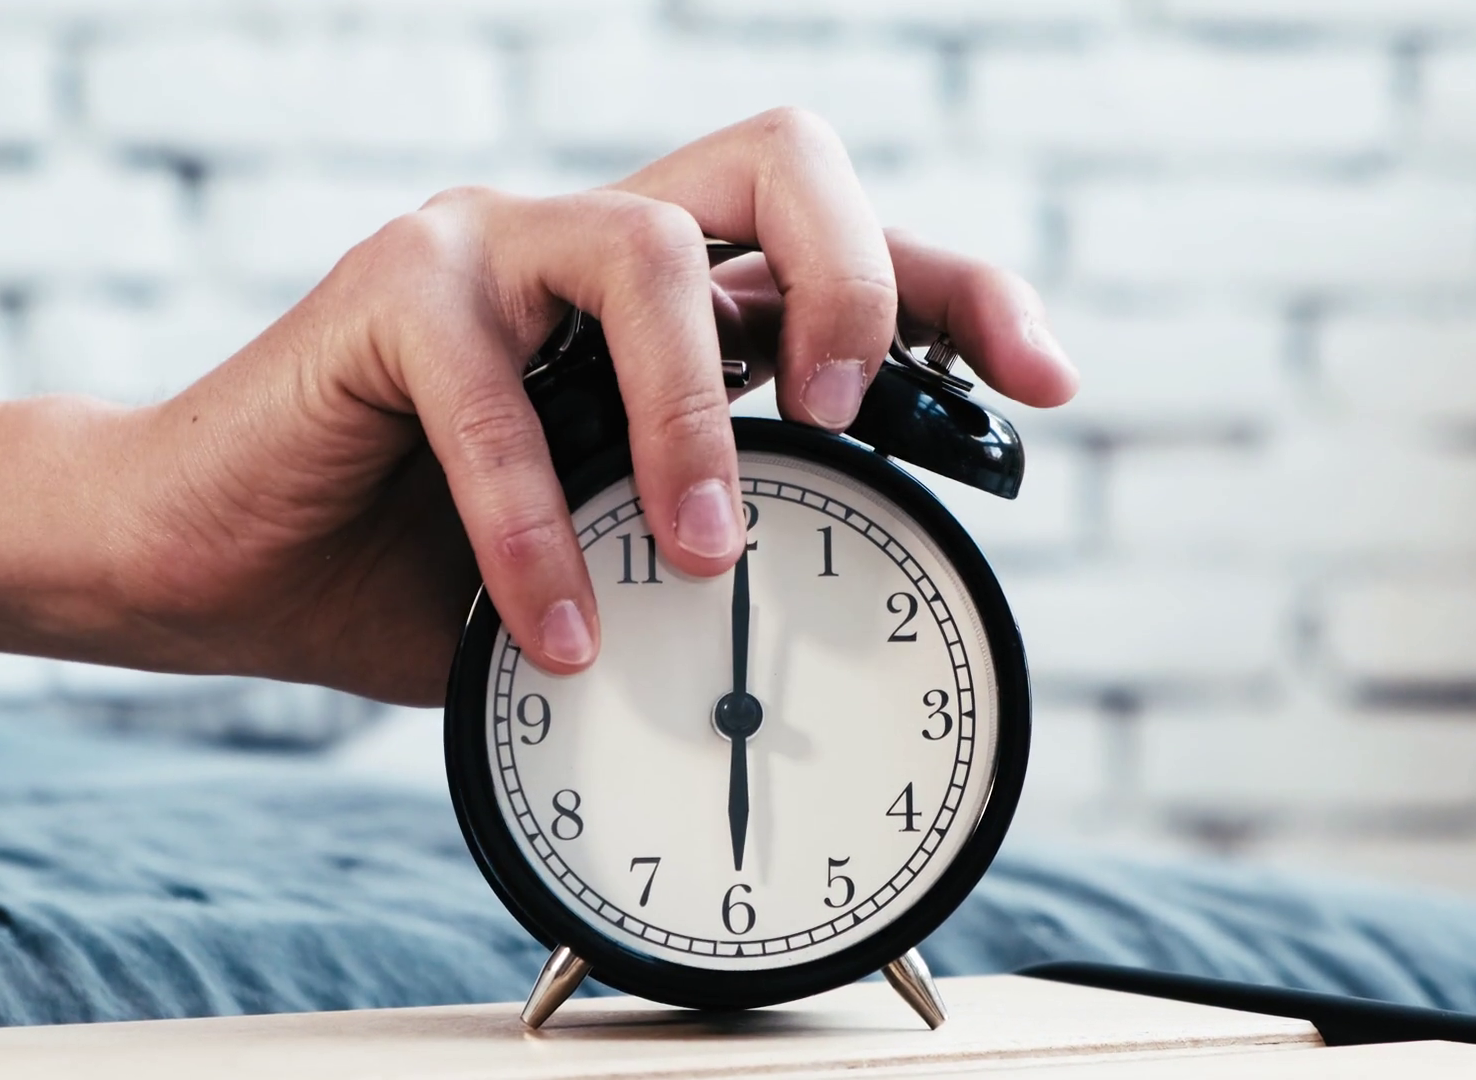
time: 6:00
